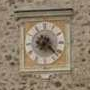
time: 7:22
